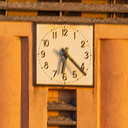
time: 6:21
